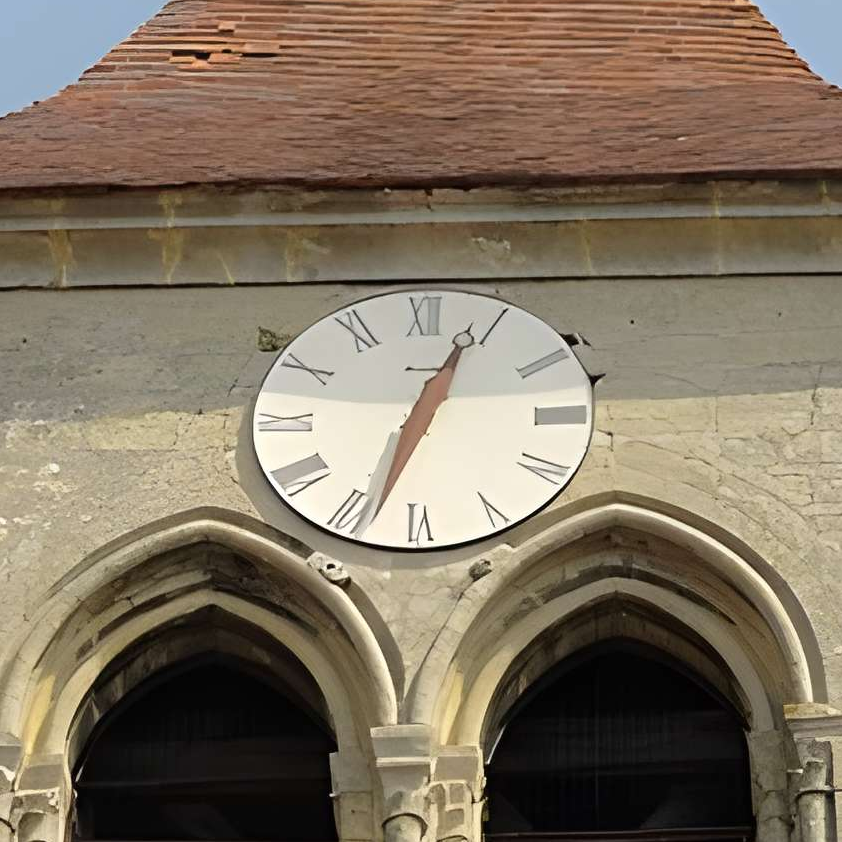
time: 12:33
